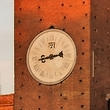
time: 8:43
